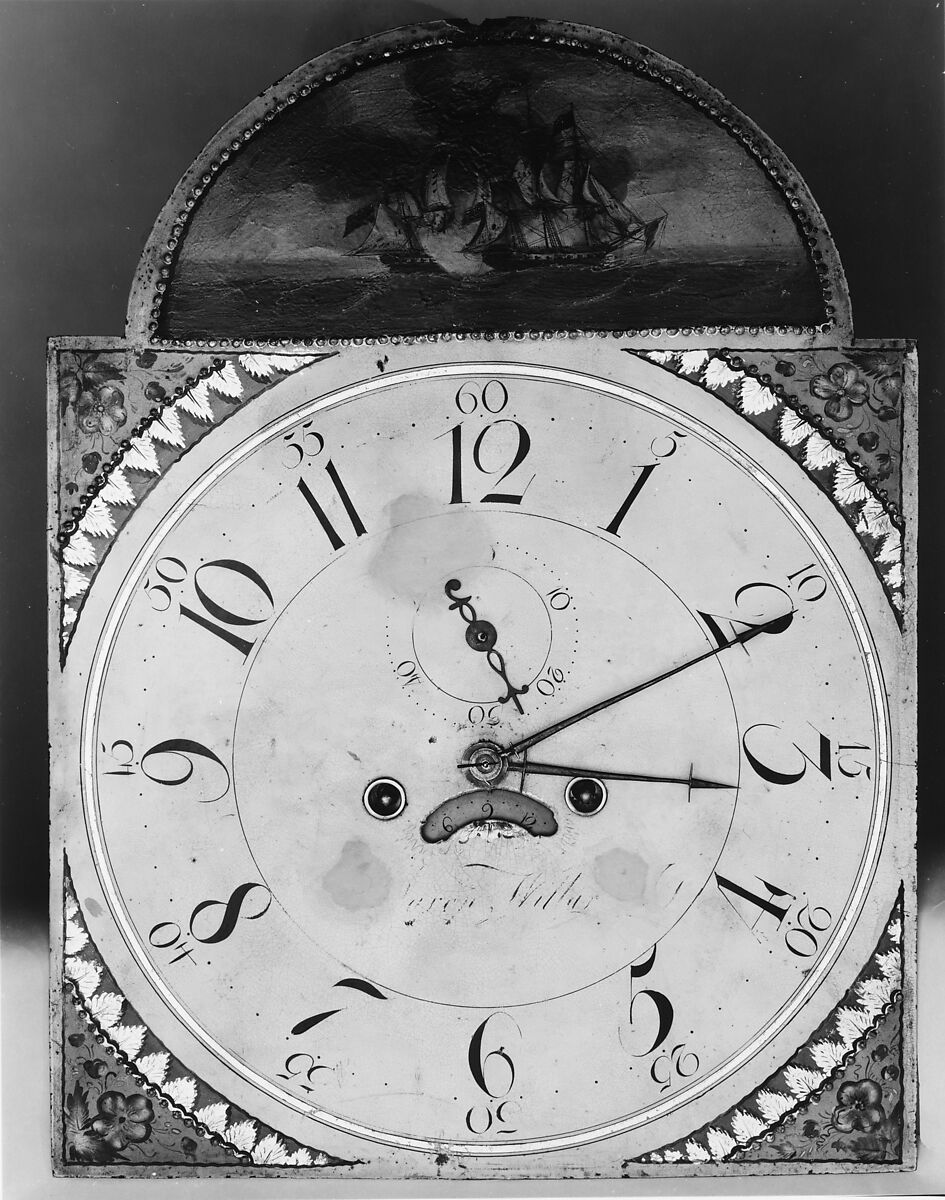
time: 3:10
